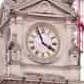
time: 3:56
